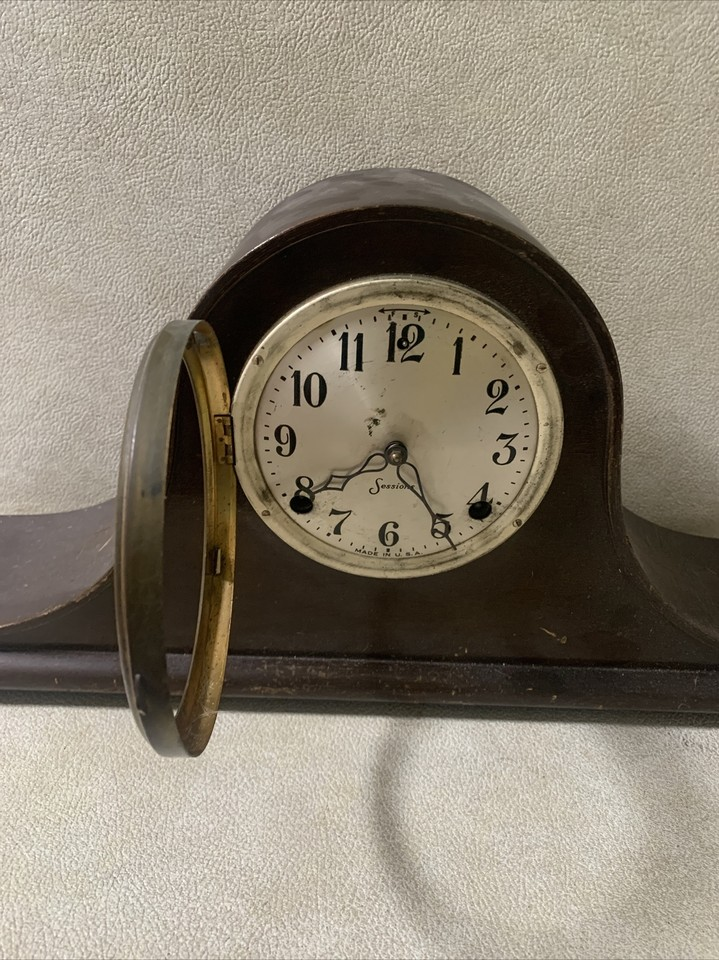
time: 4:39
